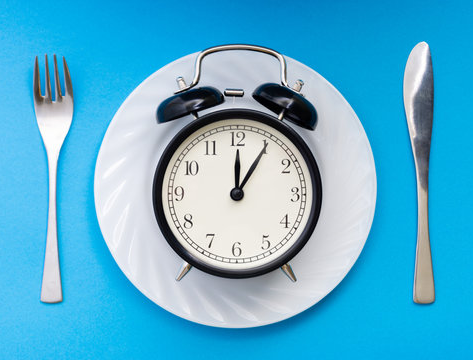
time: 12:05
